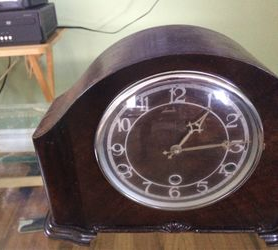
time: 1:14
